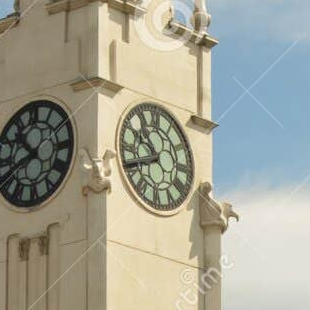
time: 10:41
